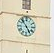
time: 4:52
